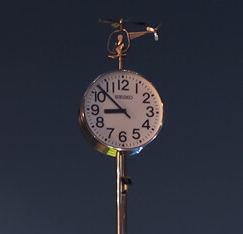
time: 8:52
